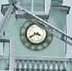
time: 3:40
